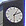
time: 1:11
